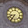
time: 8:35
